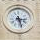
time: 3:27
